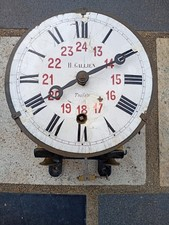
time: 8:10
